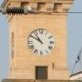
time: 10:50
